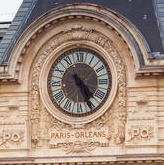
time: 4:25
